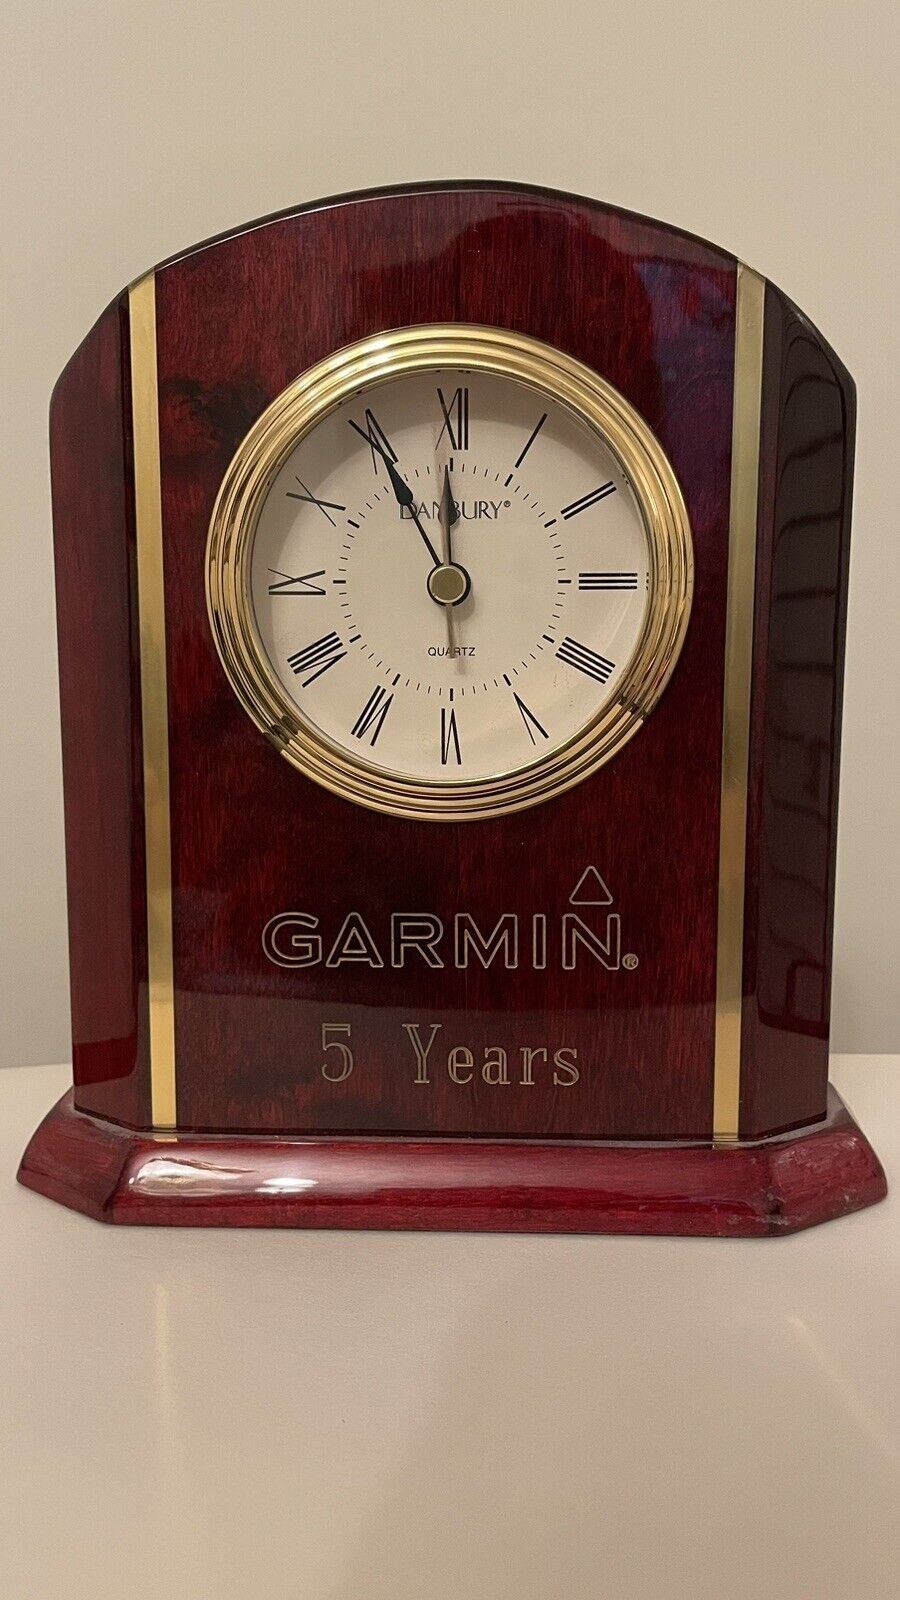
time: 11:54
